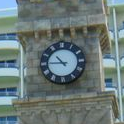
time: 10:45
